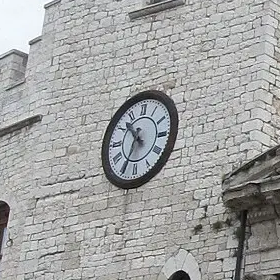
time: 10:34
